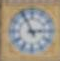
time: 2:56
